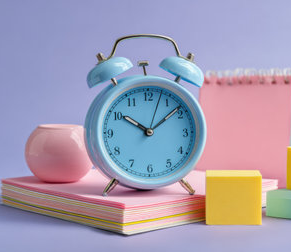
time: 10:08
